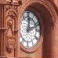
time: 12:11
